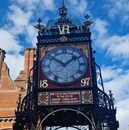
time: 1:51
